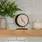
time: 11:22
